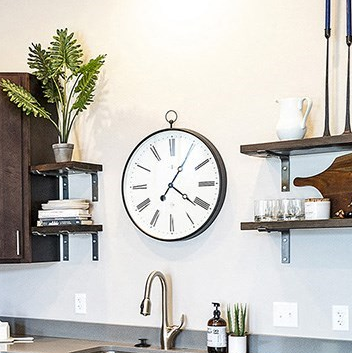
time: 4:05
